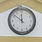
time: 11:51
